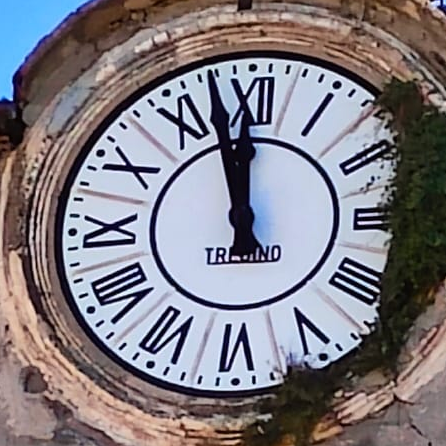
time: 11:57
